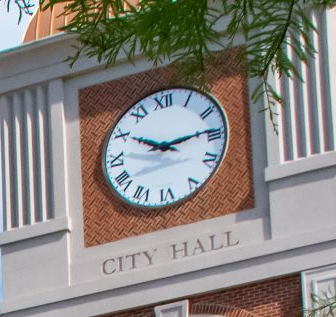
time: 10:13
